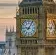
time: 9:05
